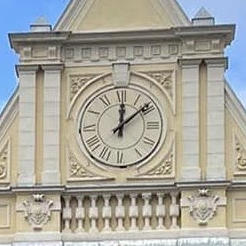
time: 12:08
